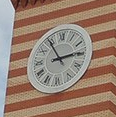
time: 2:54
